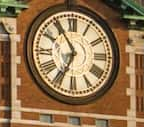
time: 6:54
